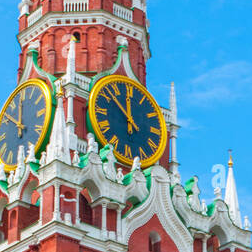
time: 11:51
